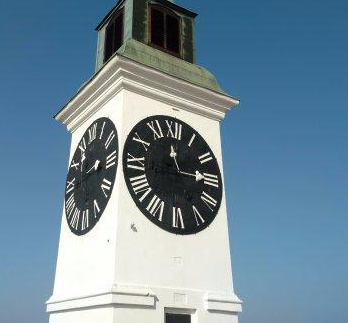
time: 12:14
